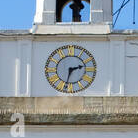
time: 2:32
